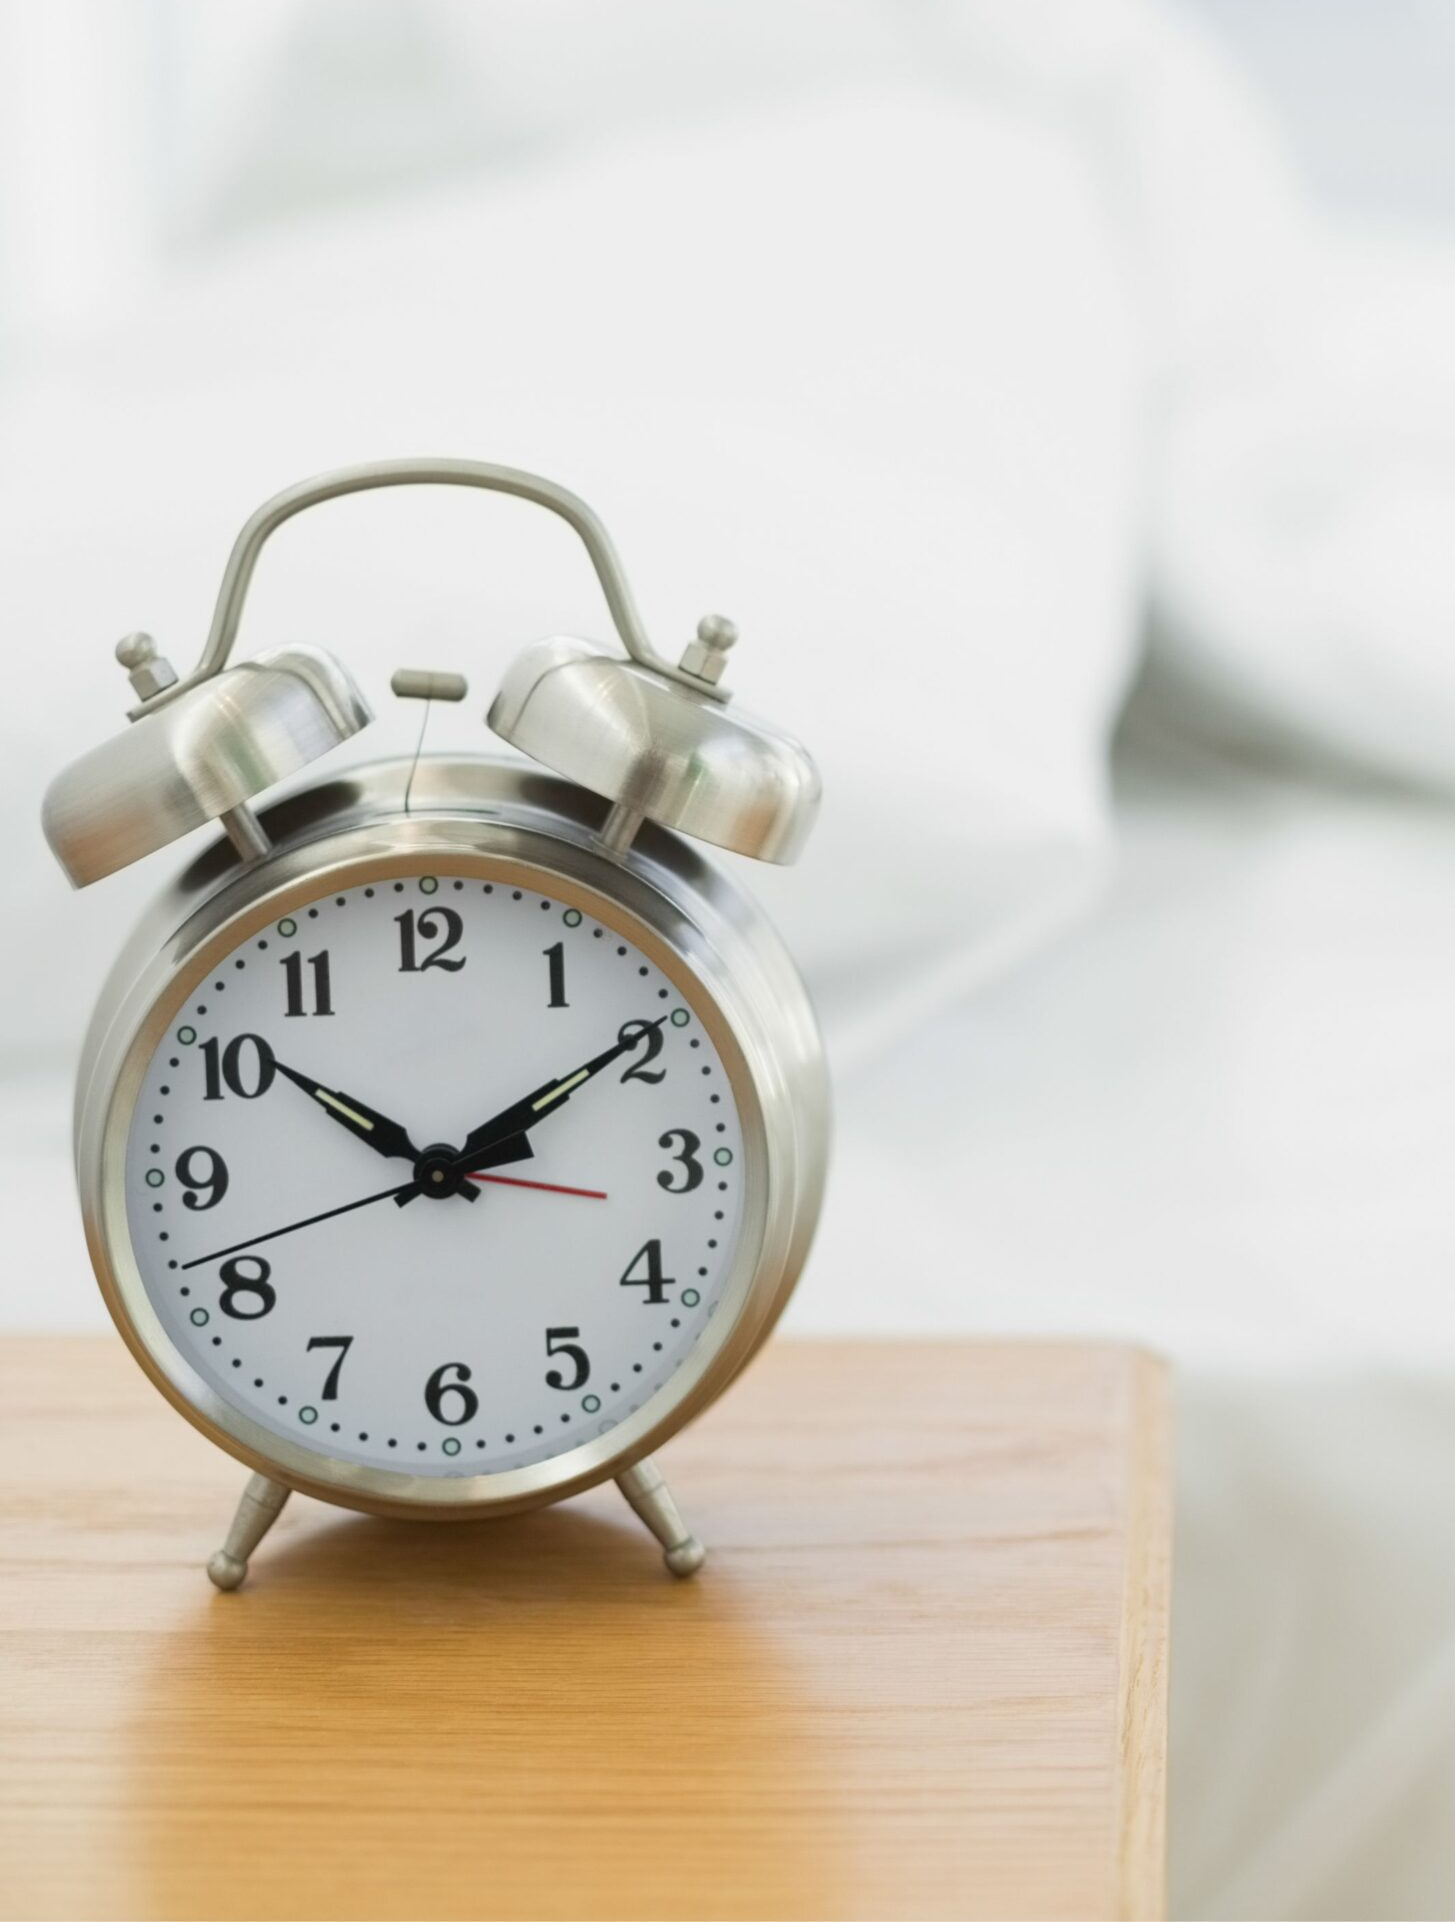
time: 1:51
